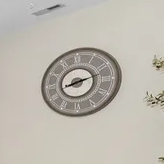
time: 8:12
